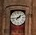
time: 1:43
